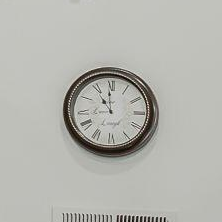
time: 10:59
